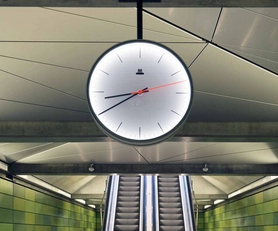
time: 8:40
